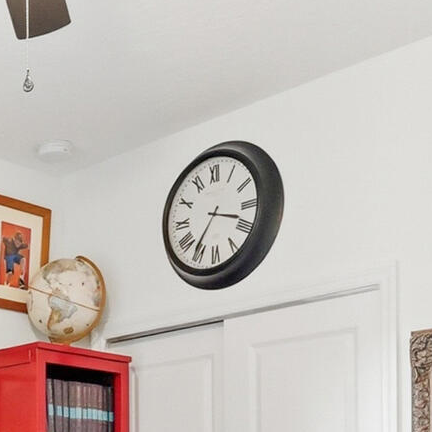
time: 3:35
